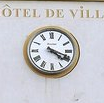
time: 4:18
